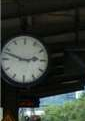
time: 2:48
